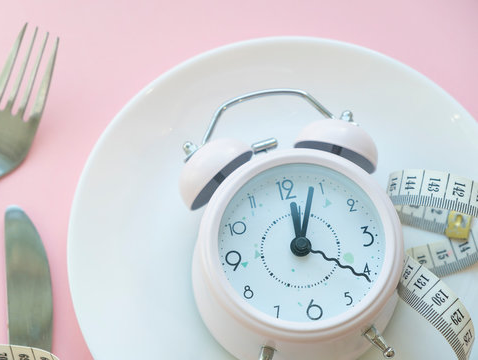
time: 12:03
